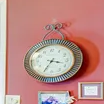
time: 3:35
